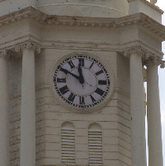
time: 11:50
